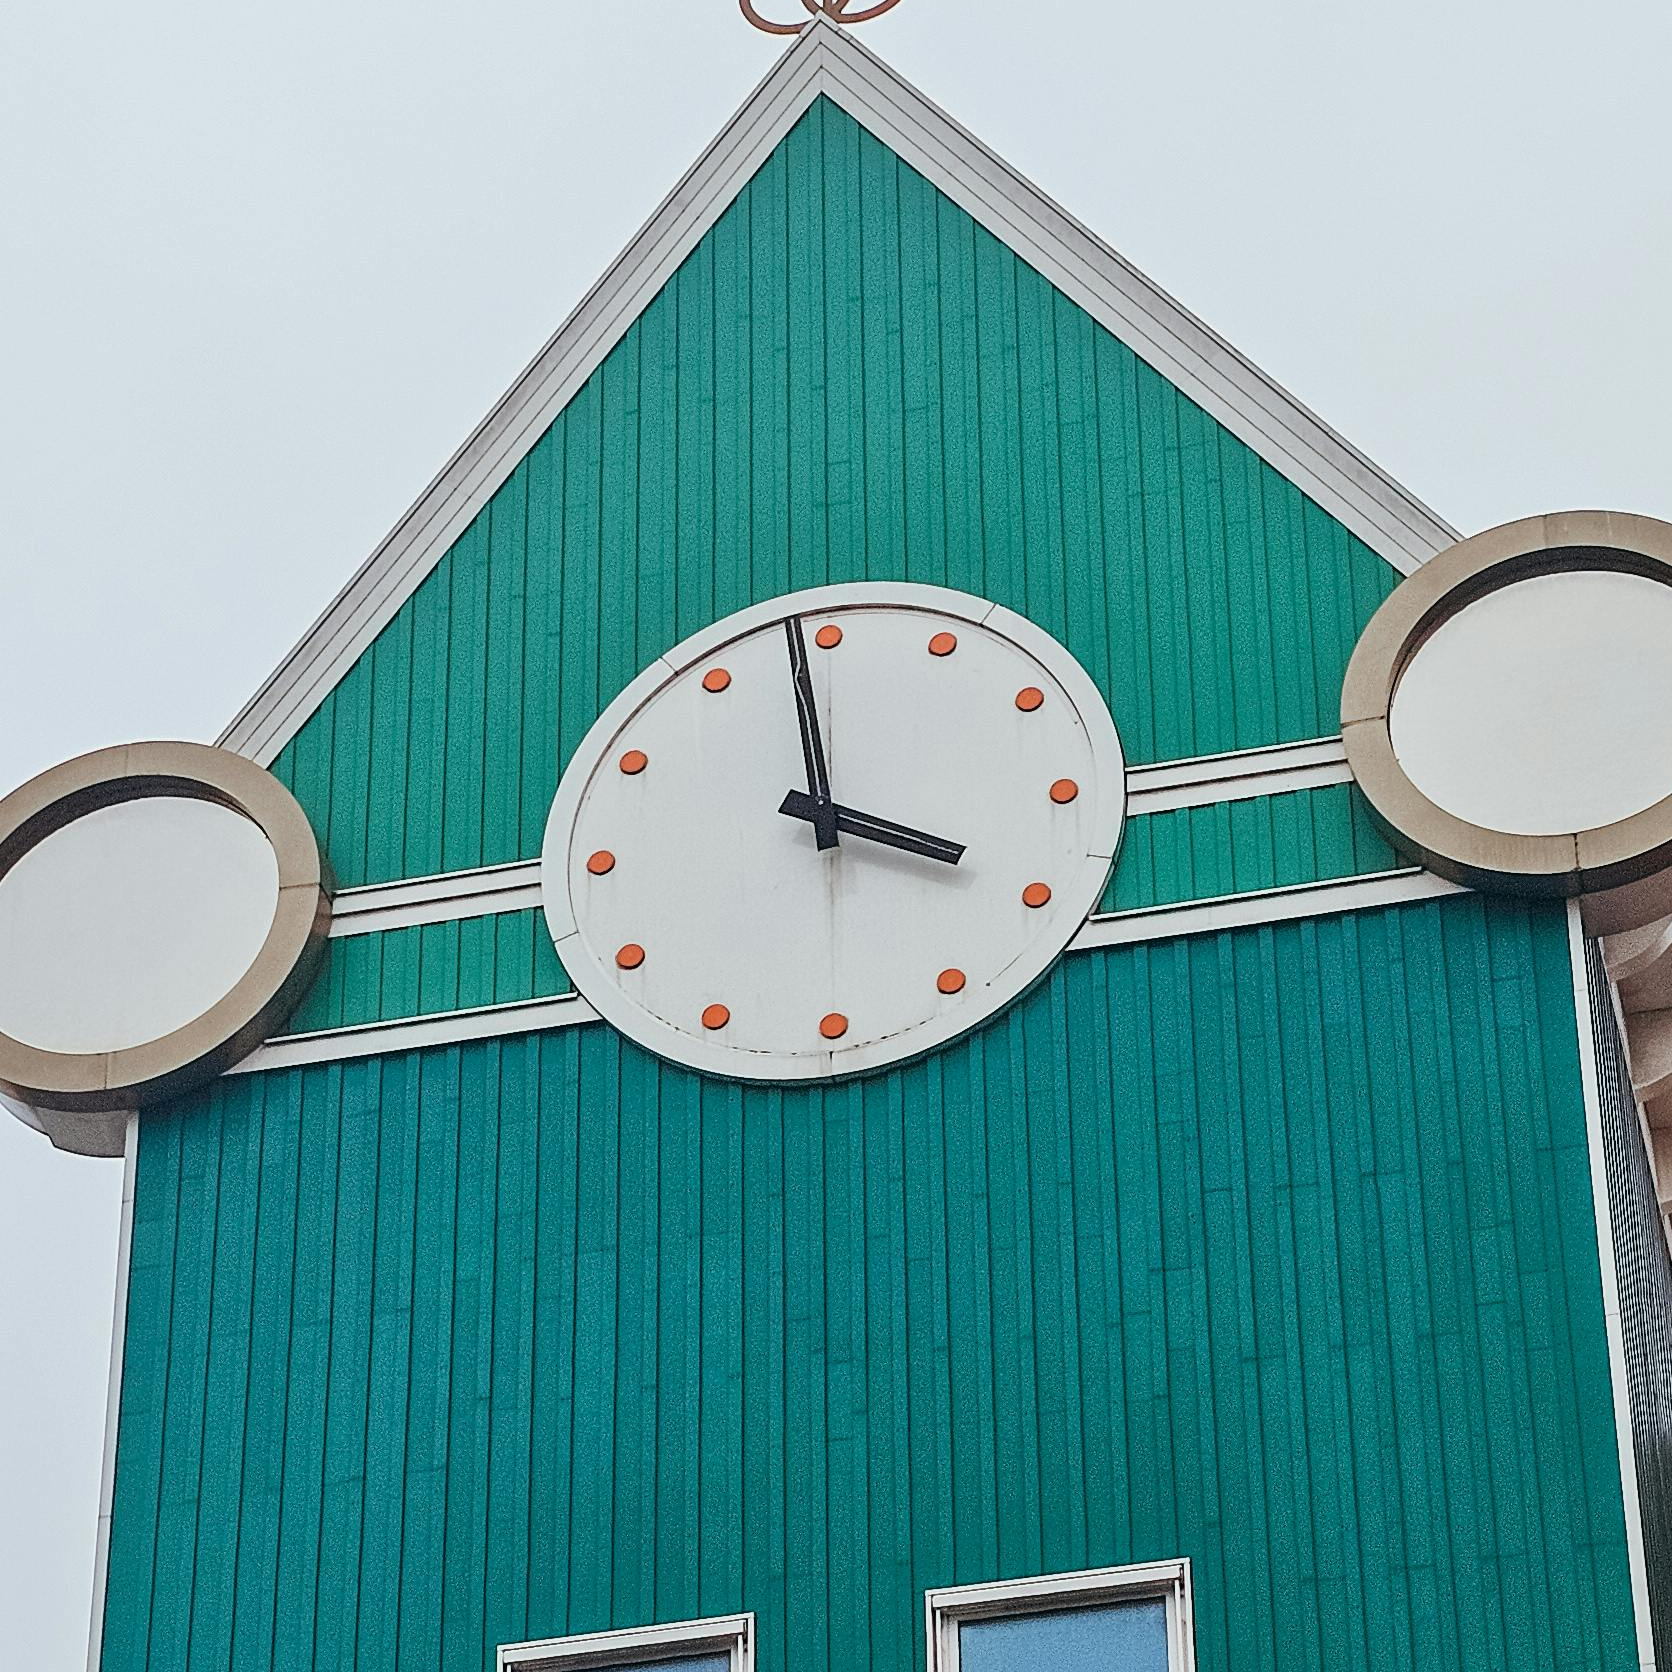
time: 3:58
